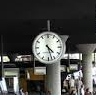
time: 4:27
